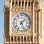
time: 1:26
